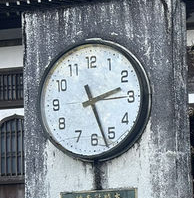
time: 2:26
